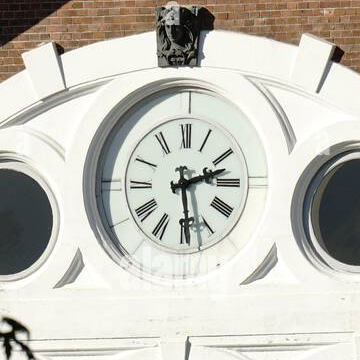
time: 2:28
